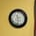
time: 11:32
